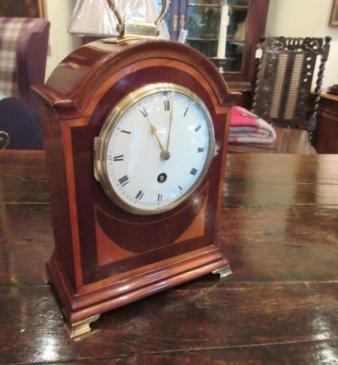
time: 11:00
